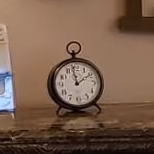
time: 1:58
